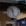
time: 11:28
